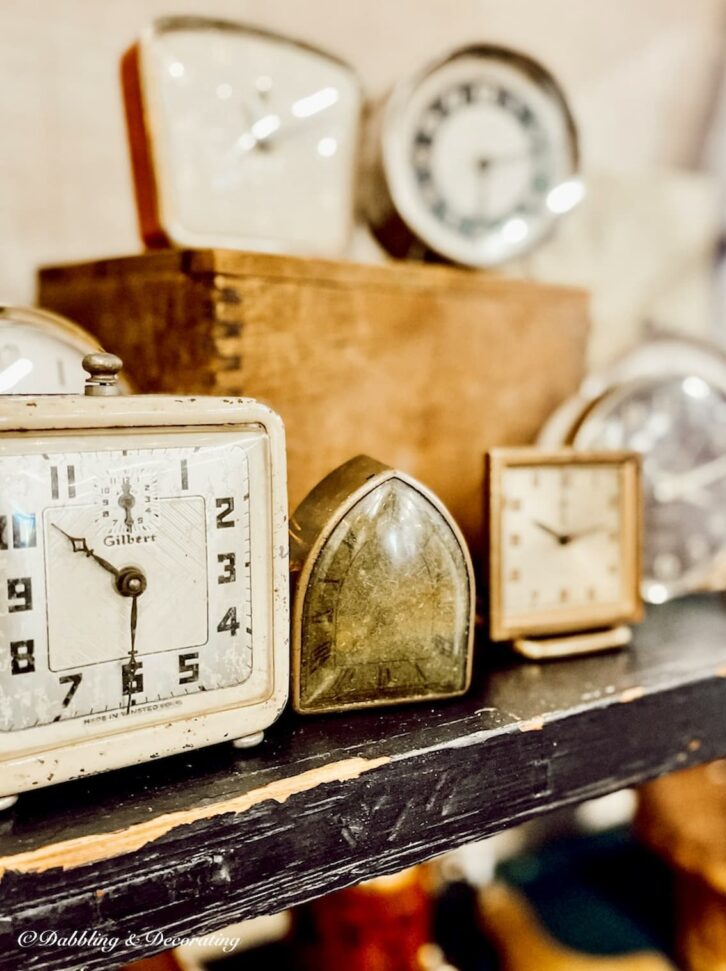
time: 10:30
